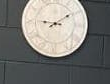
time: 9:09
